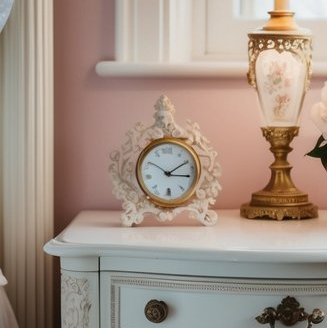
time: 3:09
